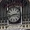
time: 2:42
